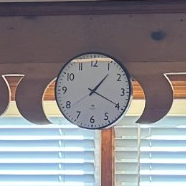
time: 1:19
